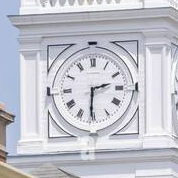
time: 2:30
